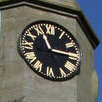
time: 11:14
